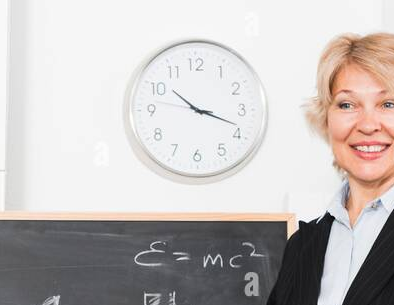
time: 10:18
